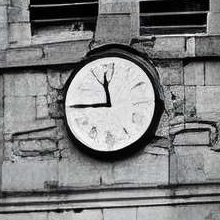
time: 11:44
